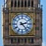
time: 2:23
